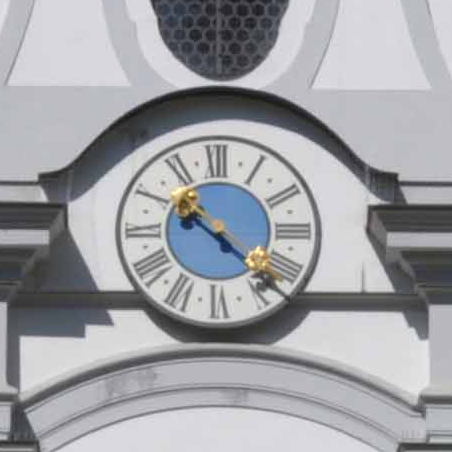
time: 10:22
